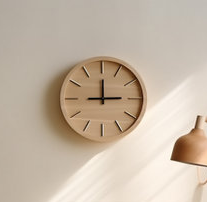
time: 12:14
